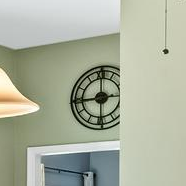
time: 2:44
